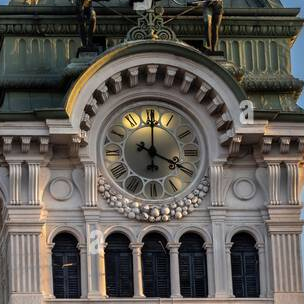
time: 4:00
